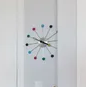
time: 3:49
